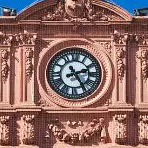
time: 2:24
